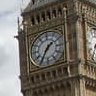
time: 1:35
